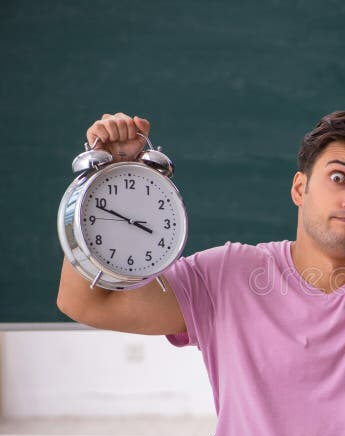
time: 3:48
